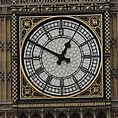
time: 12:49
